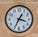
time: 3:34
